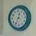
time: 12:34
